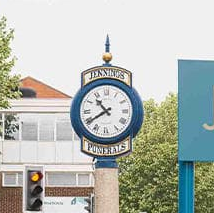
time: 10:39
